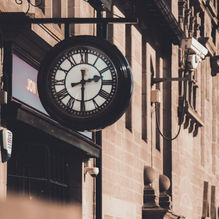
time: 2:29
